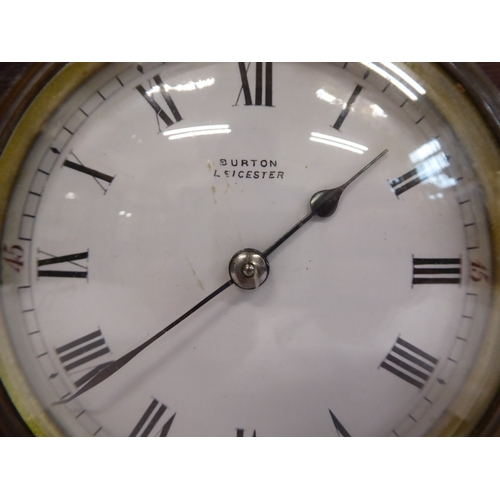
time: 1:38
